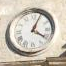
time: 4:04
